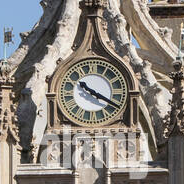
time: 10:19
